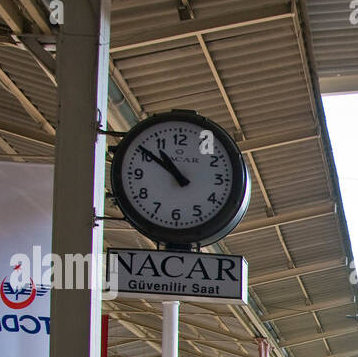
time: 10:50
